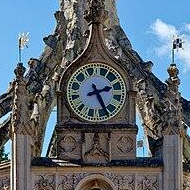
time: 2:25
